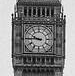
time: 9:45
